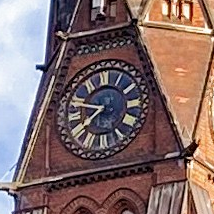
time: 7:47
